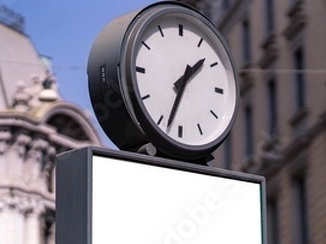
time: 1:33
